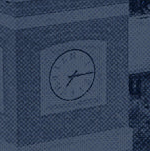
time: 7:15
